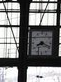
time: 8:18
